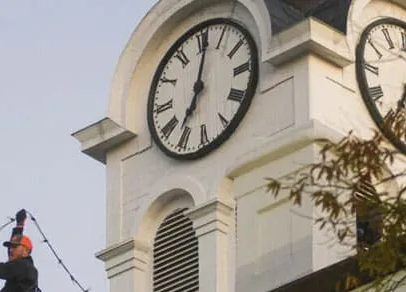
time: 7:01
